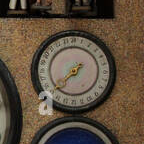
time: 7:37
